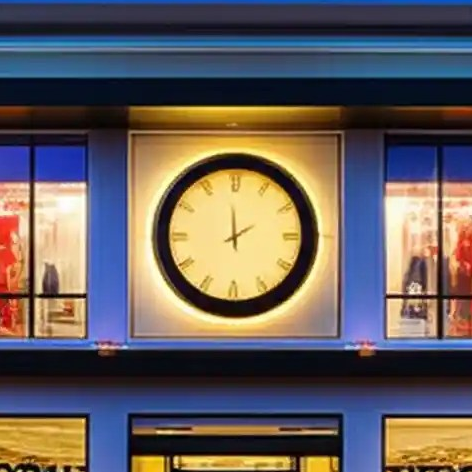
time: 1:59
